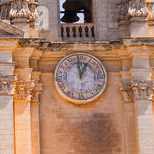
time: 12:59
